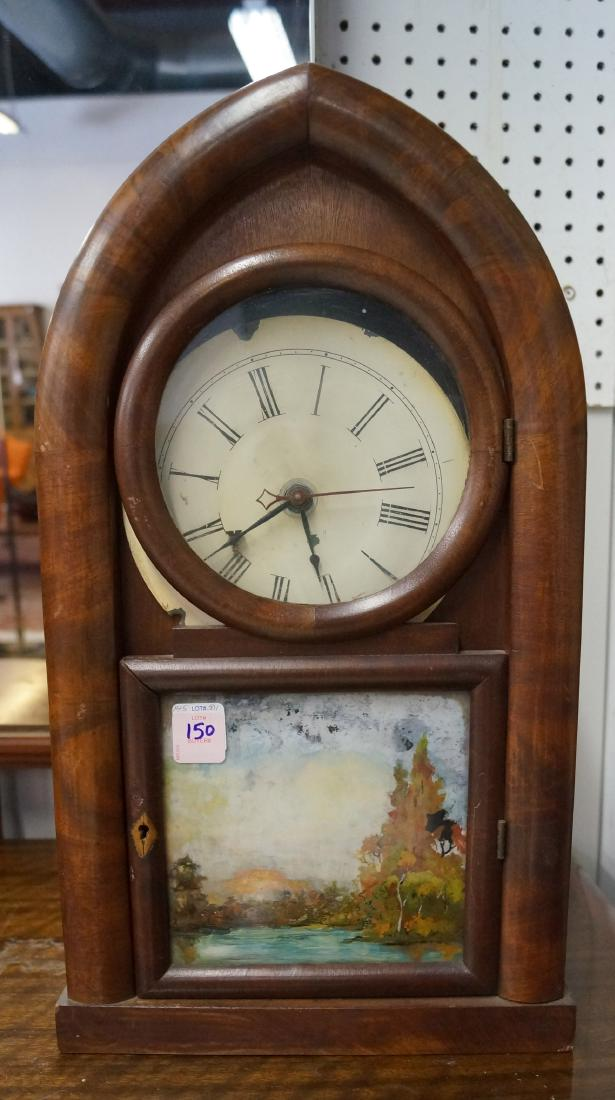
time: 5:40
